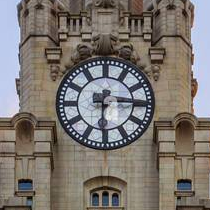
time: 6:15
